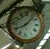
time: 8:07
